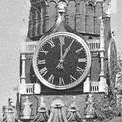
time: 1:00
